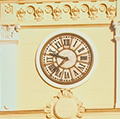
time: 9:36
